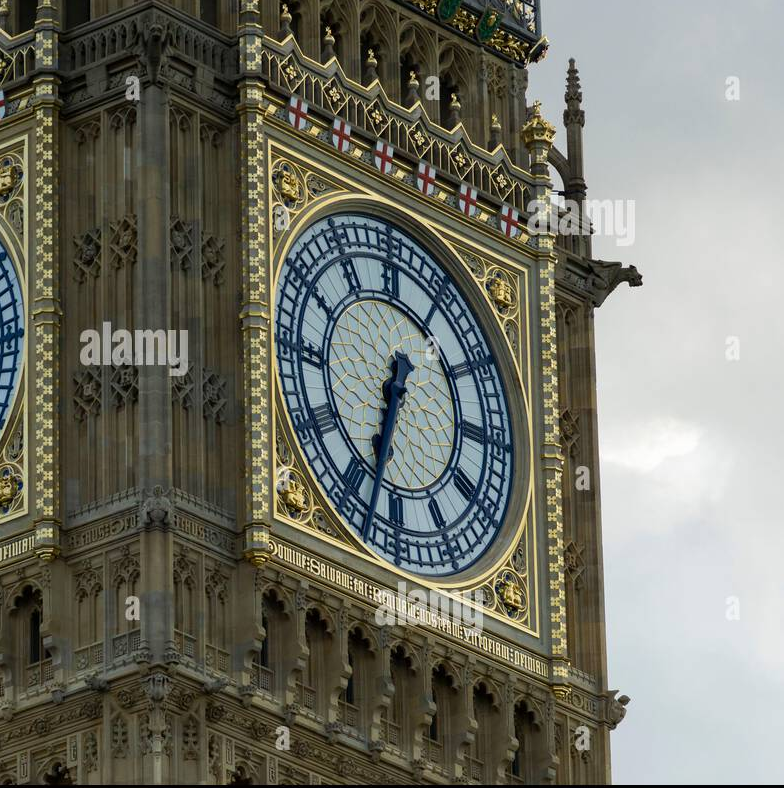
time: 6:32
